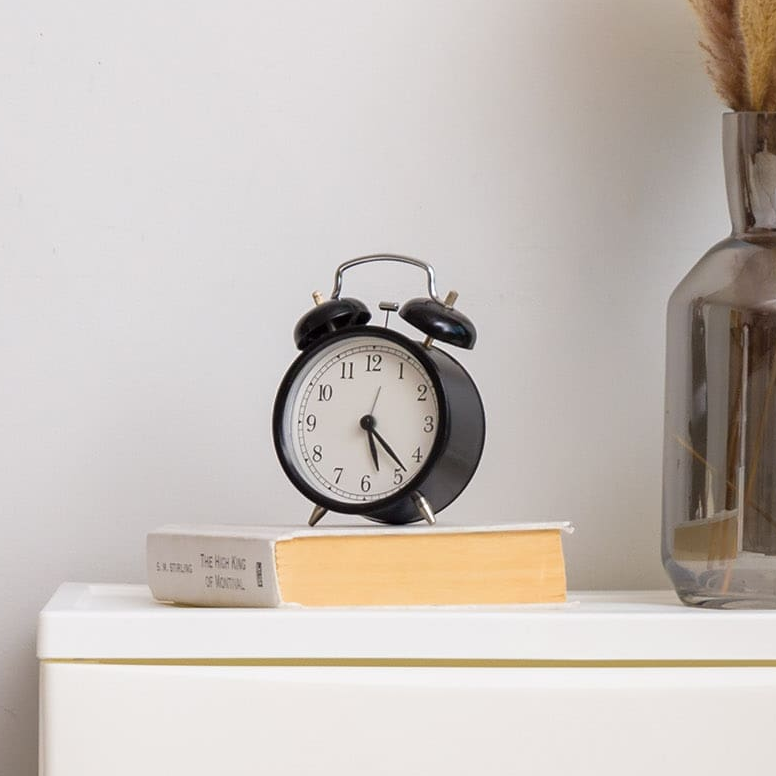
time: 5:23
